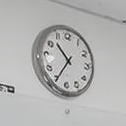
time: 10:35
